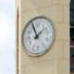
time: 1:56
